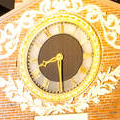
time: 8:29
